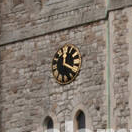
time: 12:19
